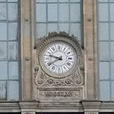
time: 9:39
